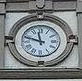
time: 11:47
